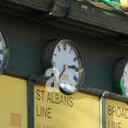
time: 7:14
